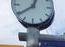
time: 12:39
